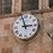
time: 2:57
